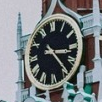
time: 3:23
